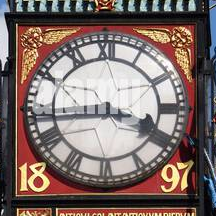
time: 3:43
